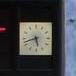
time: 5:42
